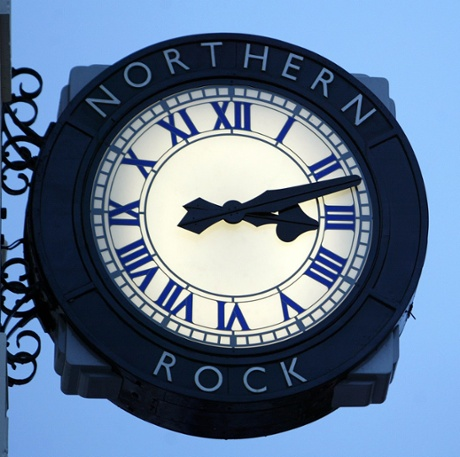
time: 3:12
